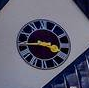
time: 3:44
